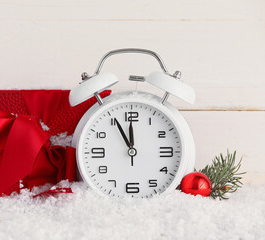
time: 11:55
